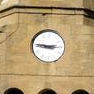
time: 2:46
